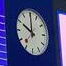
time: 10:00
